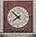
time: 7:52
